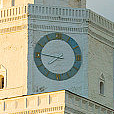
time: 7:46
